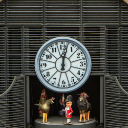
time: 12:02
